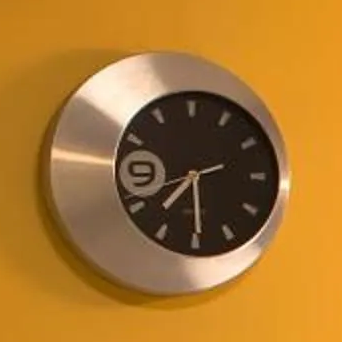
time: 7:29
